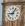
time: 9:05
